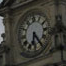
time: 6:23
